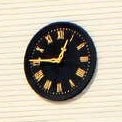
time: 12:45
